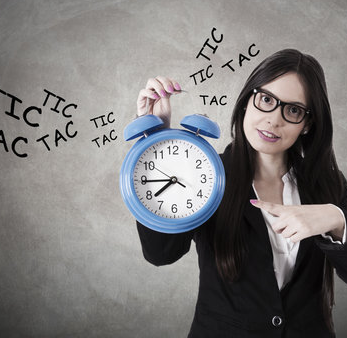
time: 7:44
